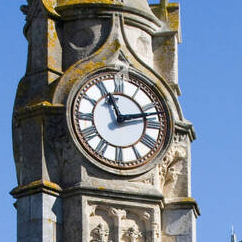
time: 11:12
